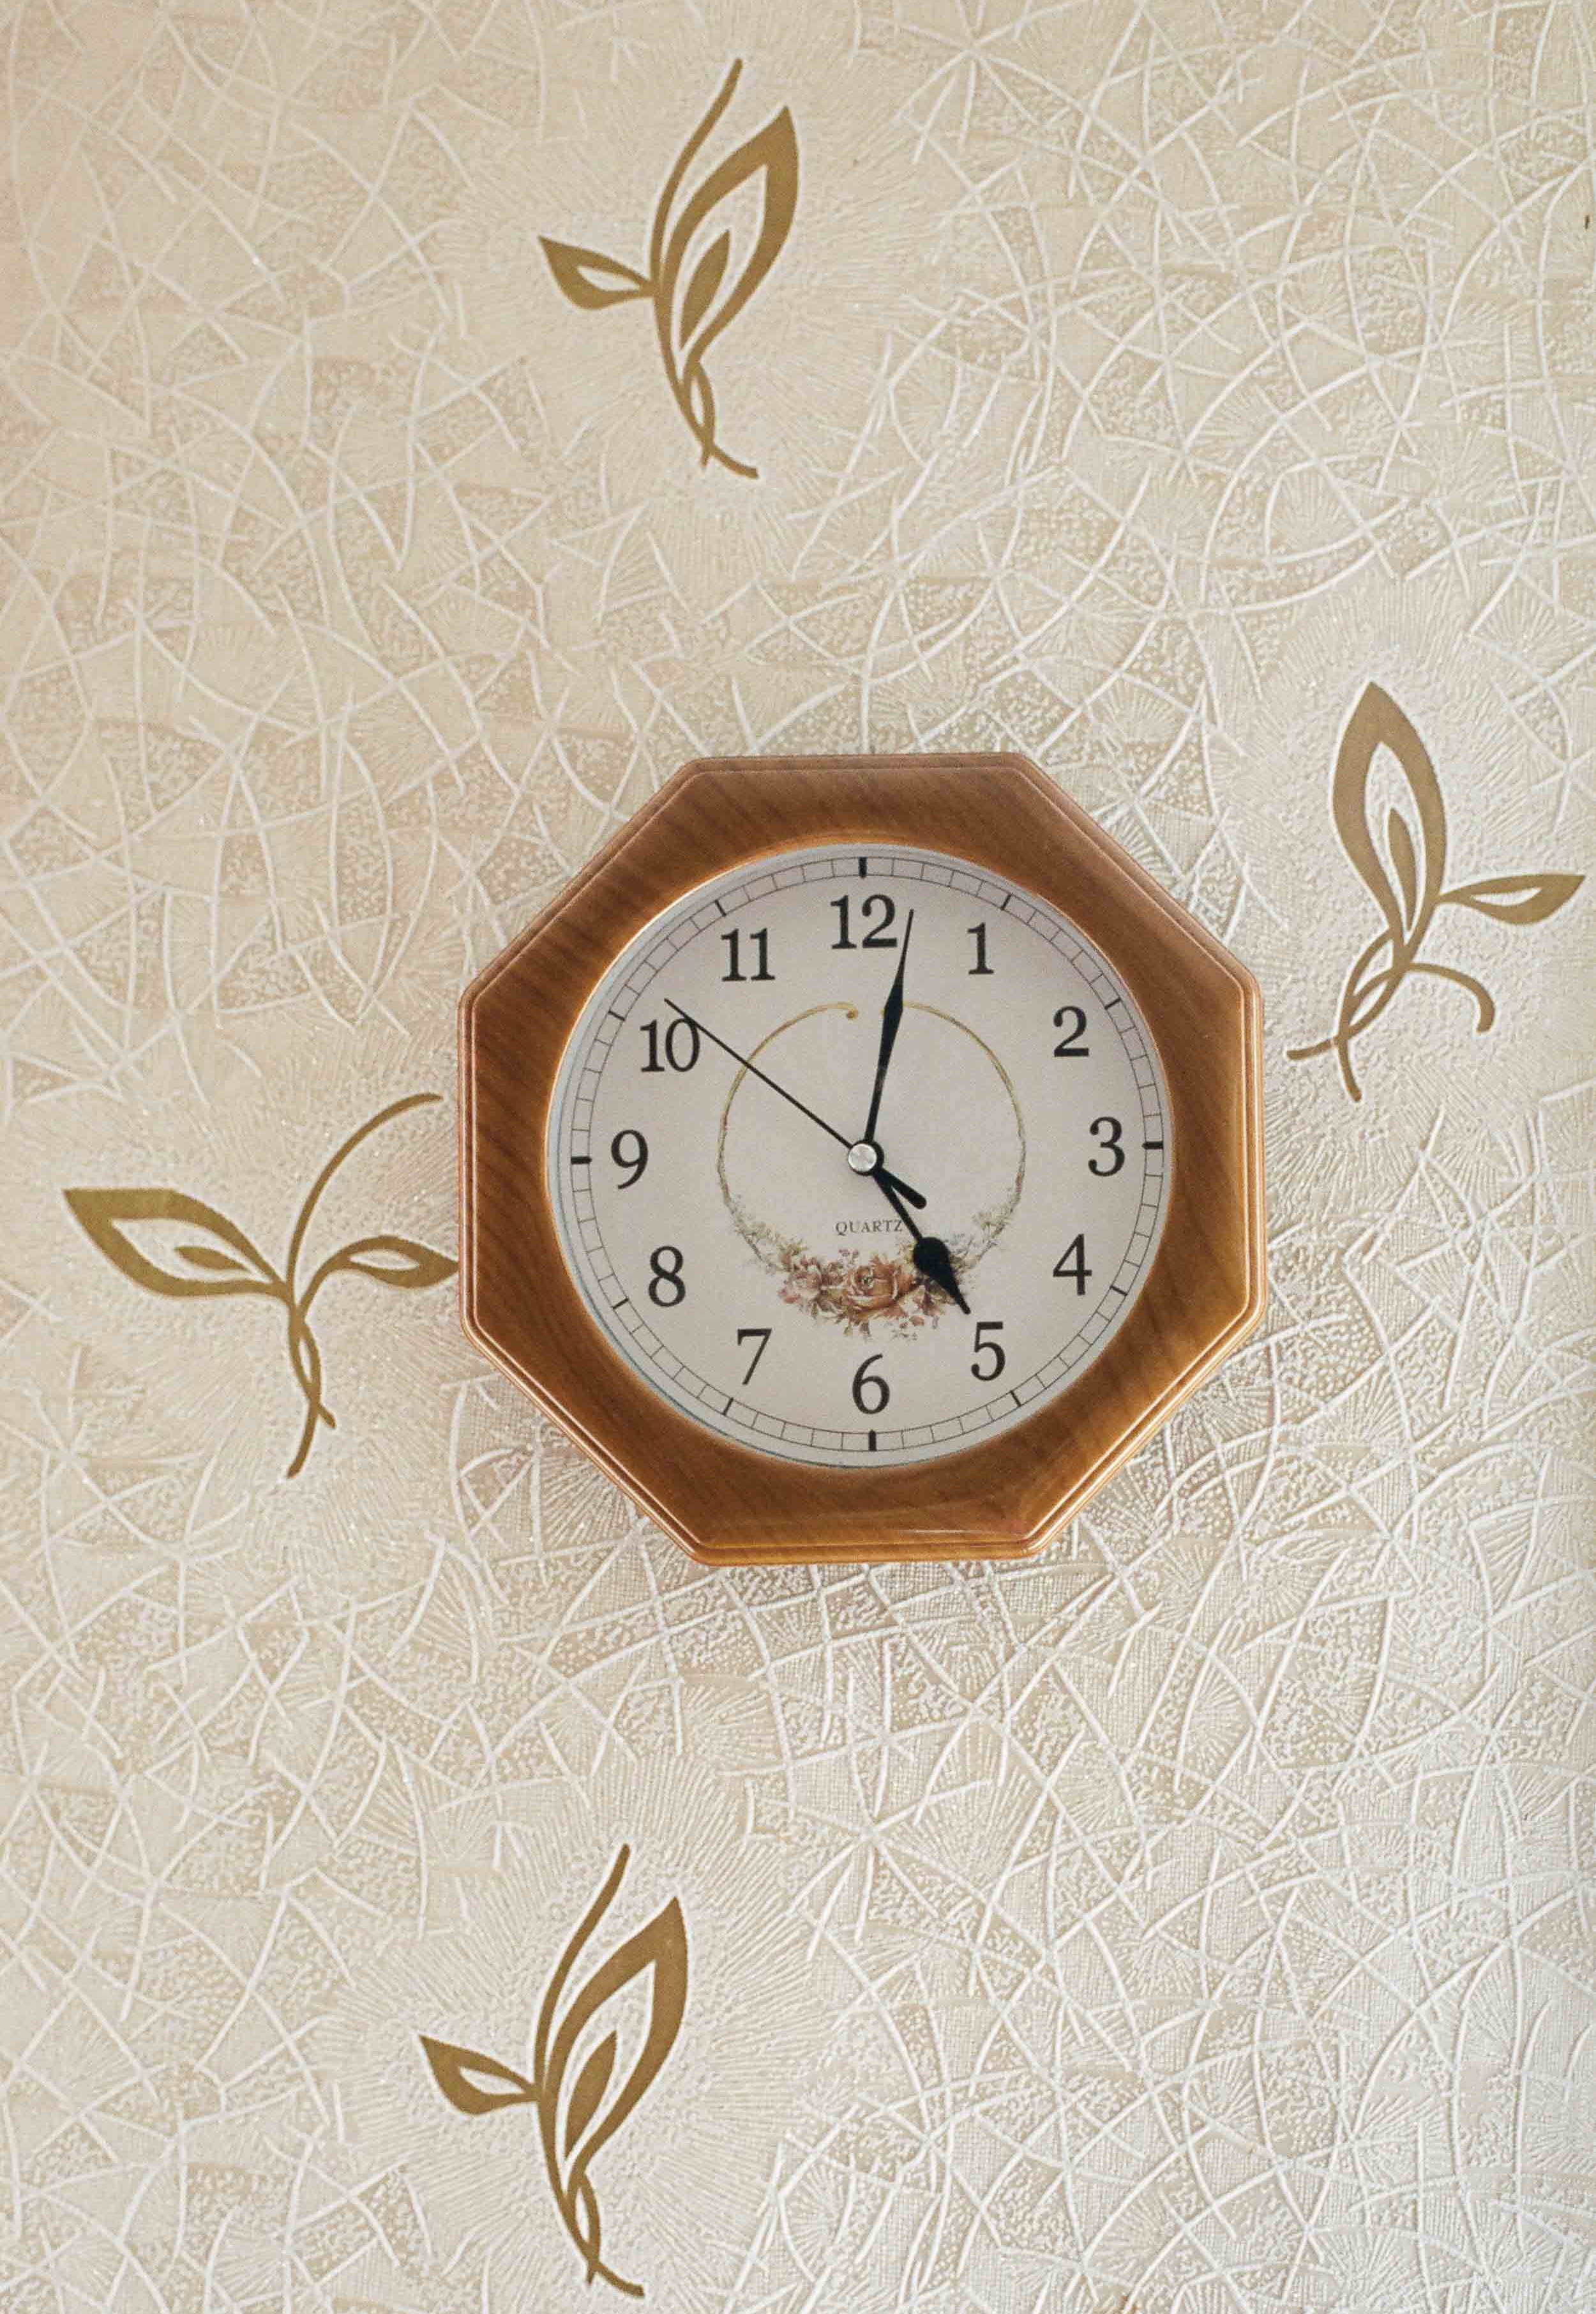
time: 5:01
